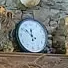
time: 11:51
